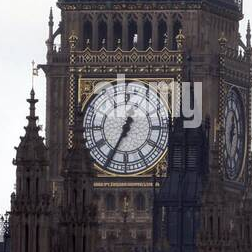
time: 12:34
